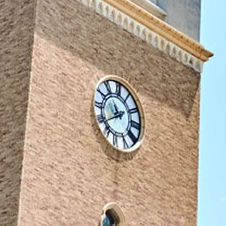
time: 10:39
